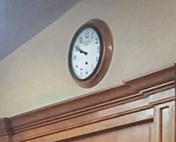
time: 9:50
